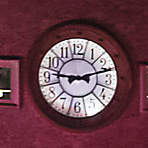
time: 9:12
